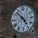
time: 4:52
